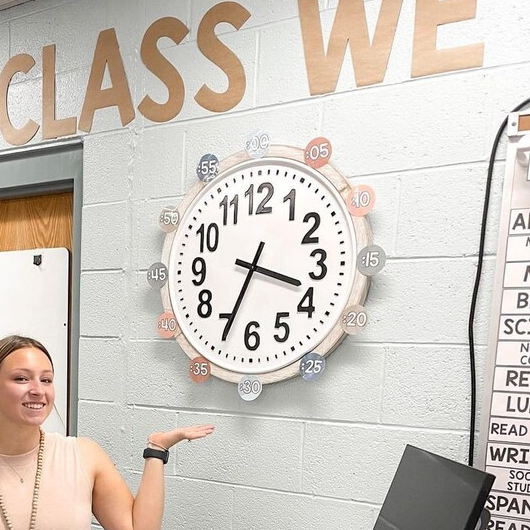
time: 3:34
